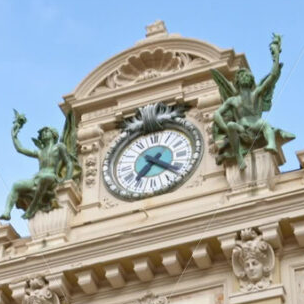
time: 7:21
